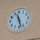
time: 11:28
